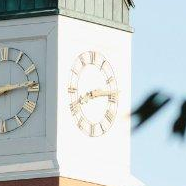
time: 8:14
